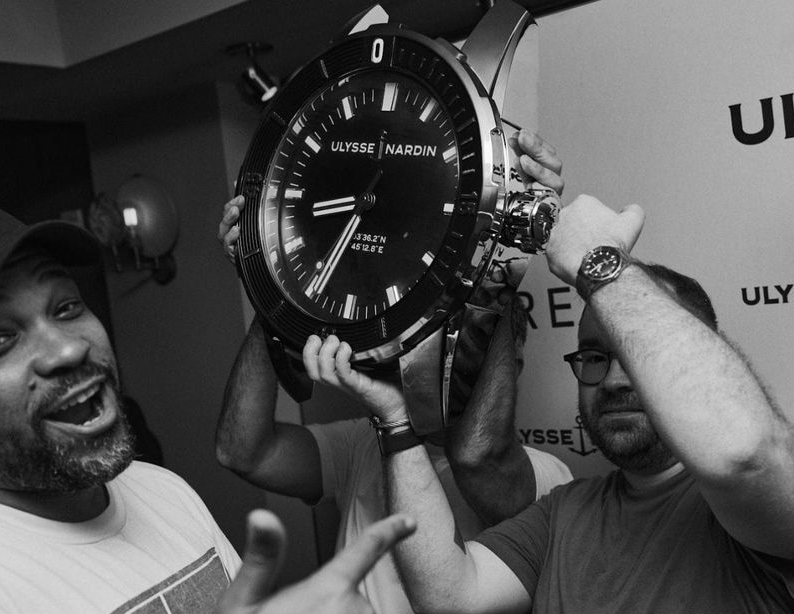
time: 8:34
